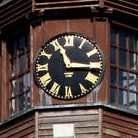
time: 11:15
